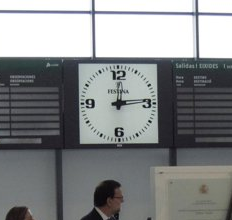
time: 12:14
